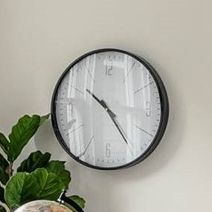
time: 10:24
